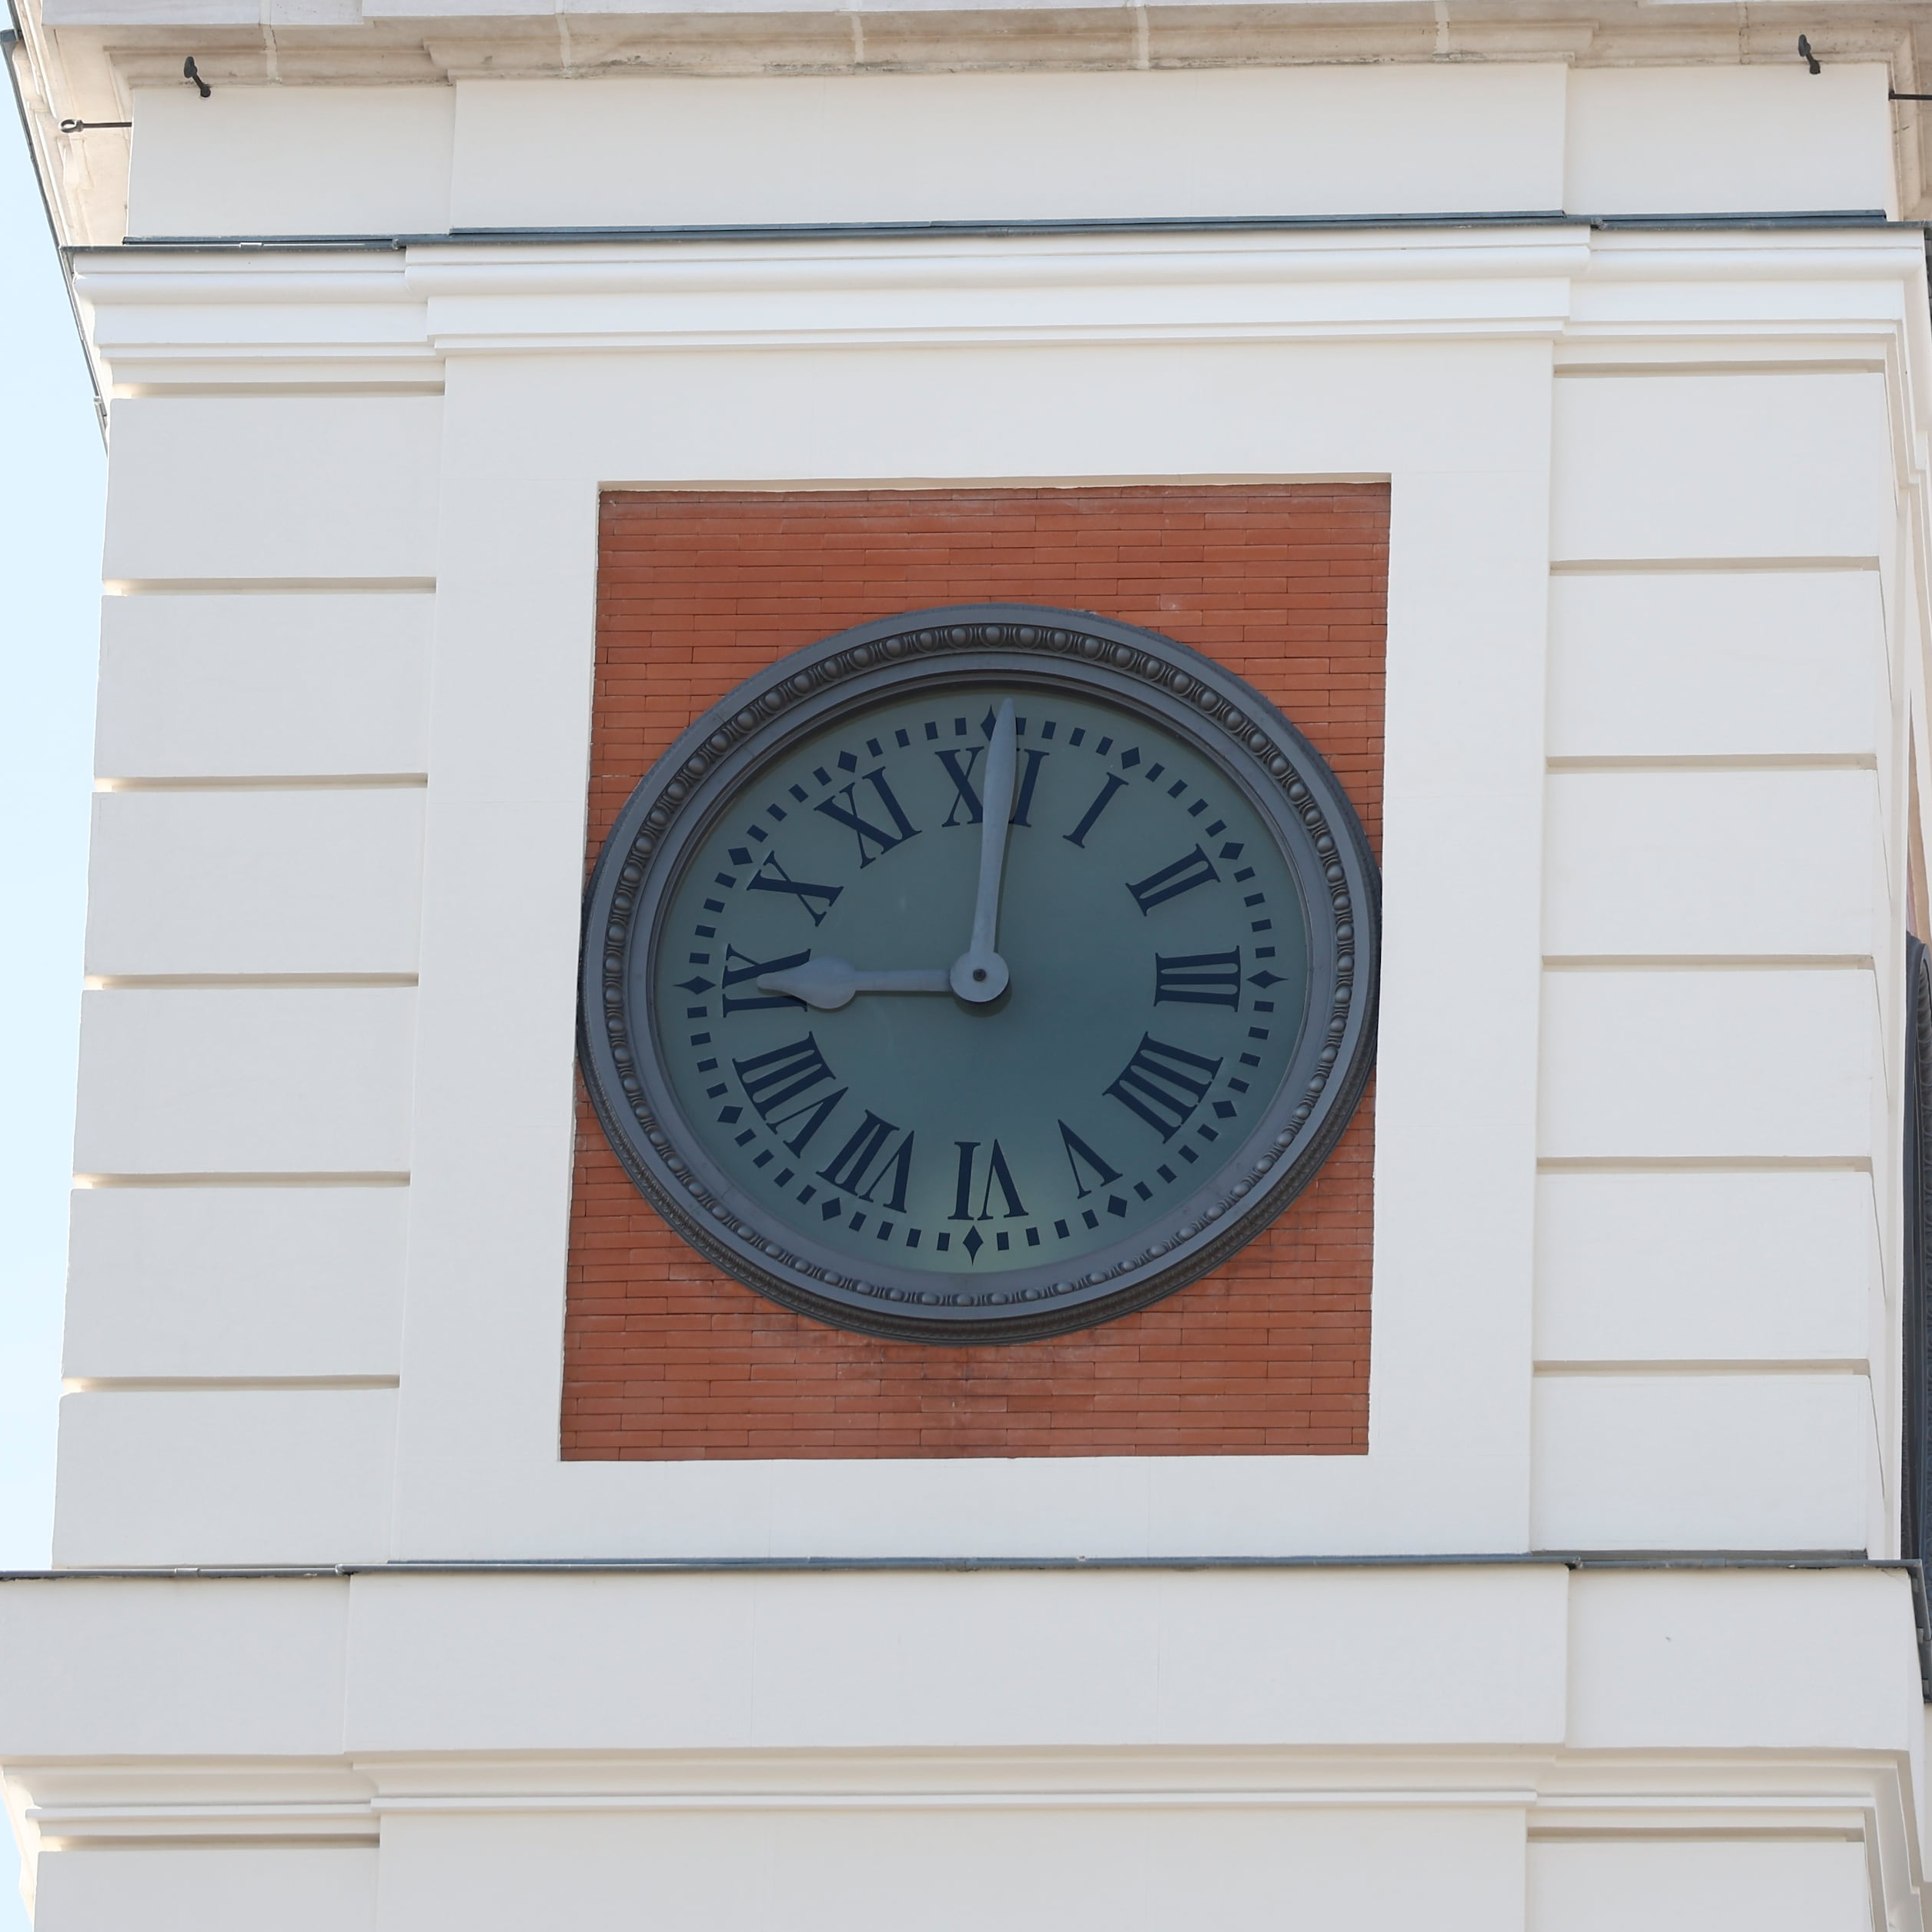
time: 9:01
